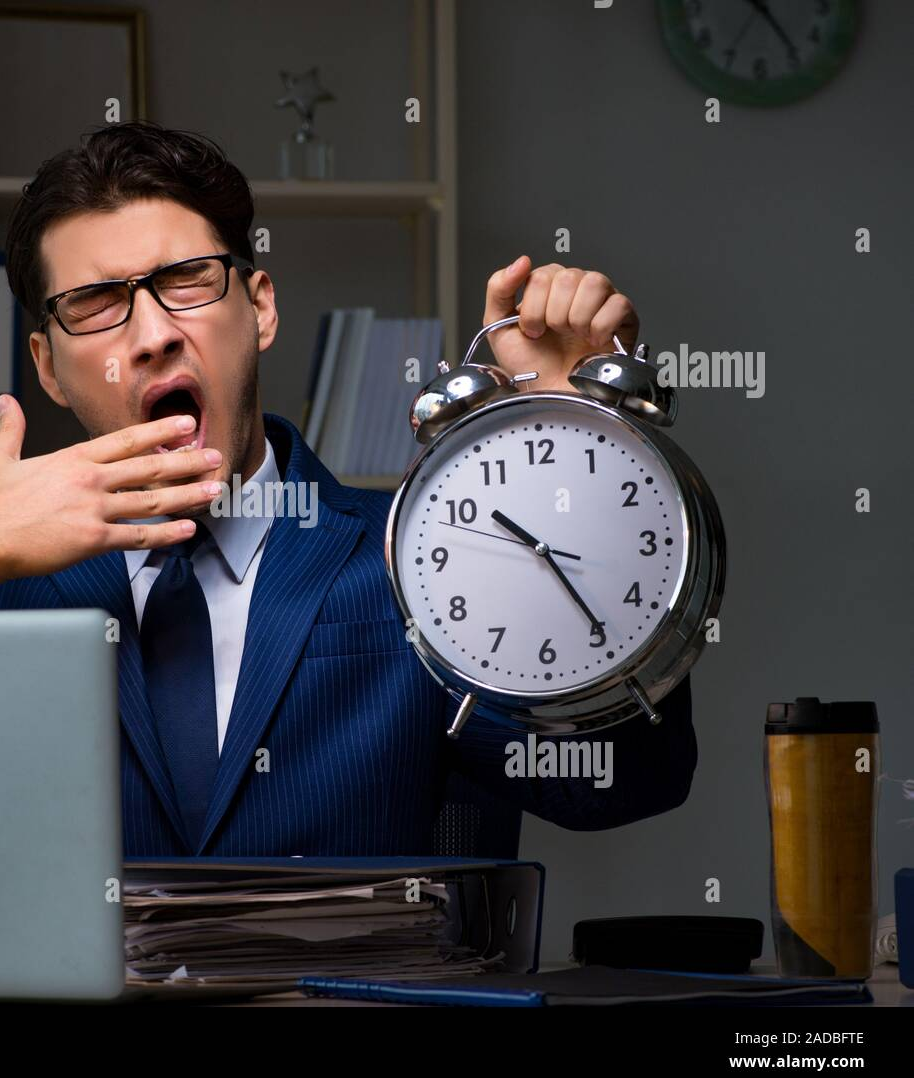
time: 10:24
